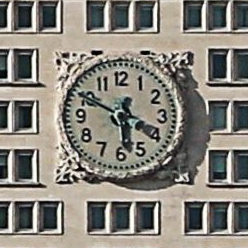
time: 5:49
